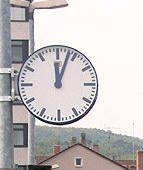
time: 12:03
